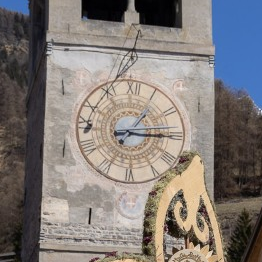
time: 1:15
